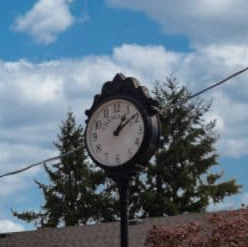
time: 1:09
